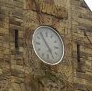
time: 4:54
